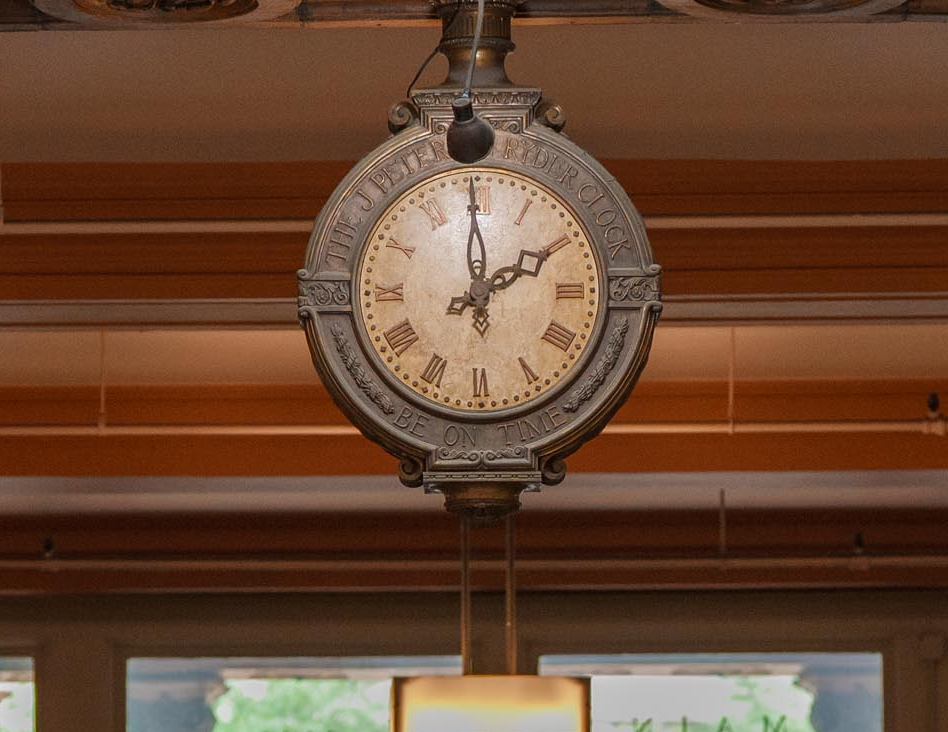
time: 2:00
